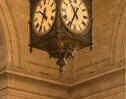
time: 10:34
